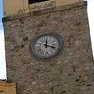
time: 12:18
